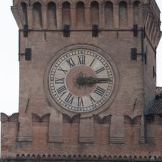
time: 3:14
